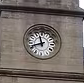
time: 11:40
